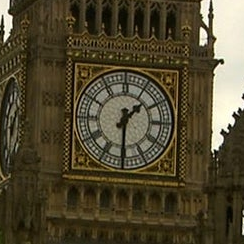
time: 1:30
